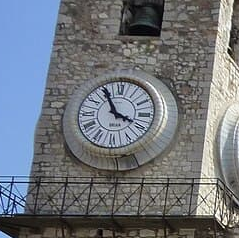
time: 3:55
